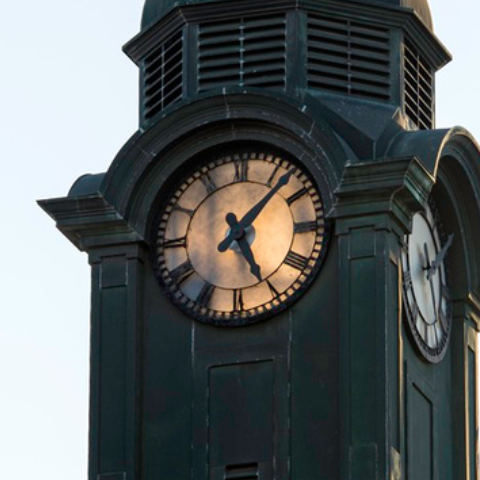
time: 5:07
